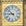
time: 8:52
